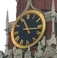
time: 11:16
